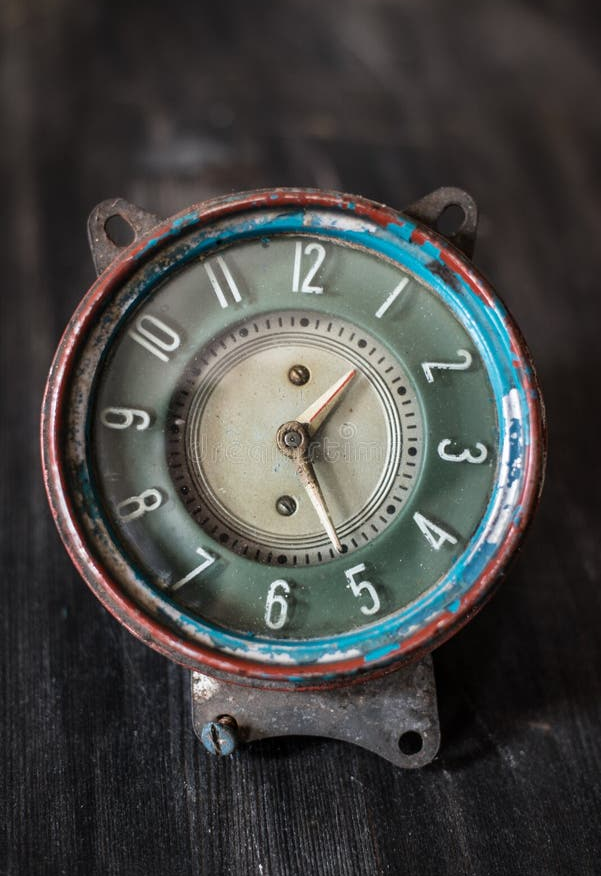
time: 1:25
